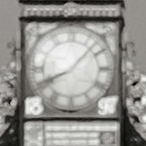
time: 8:07
